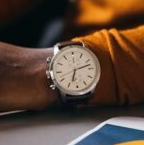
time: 2:33
